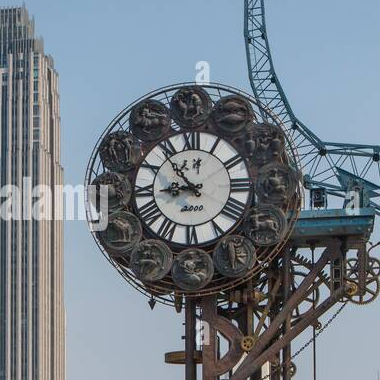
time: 8:53
